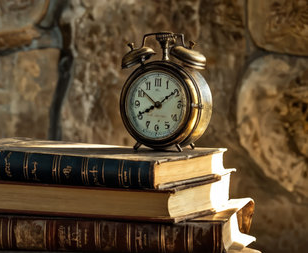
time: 8:09
